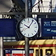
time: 10:06
